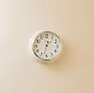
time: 1:32
